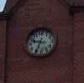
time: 9:34
